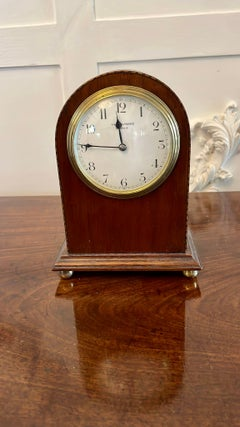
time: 11:45
